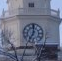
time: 7:00
